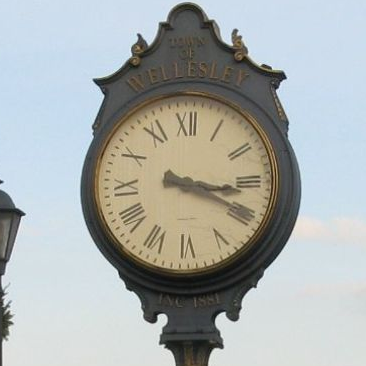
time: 3:19
